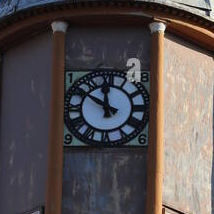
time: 11:50
